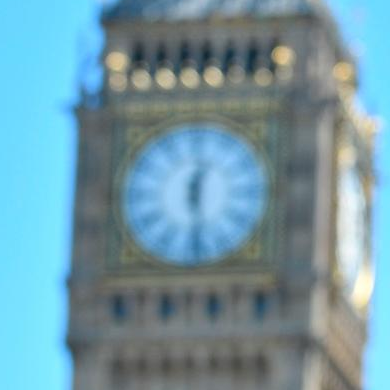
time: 12:28
